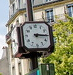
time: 3:15
